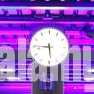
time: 5:45
